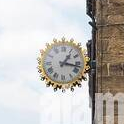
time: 1:16
